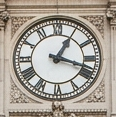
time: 1:18
